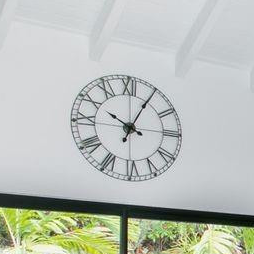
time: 10:04
